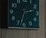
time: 2:33
